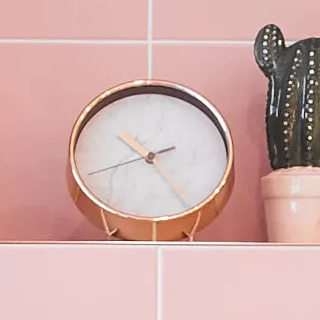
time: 10:24
